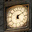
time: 5:09
